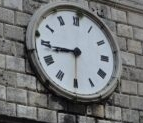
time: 8:43
